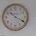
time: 10:19
